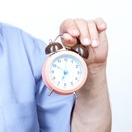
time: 6:50
